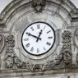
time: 12:49
